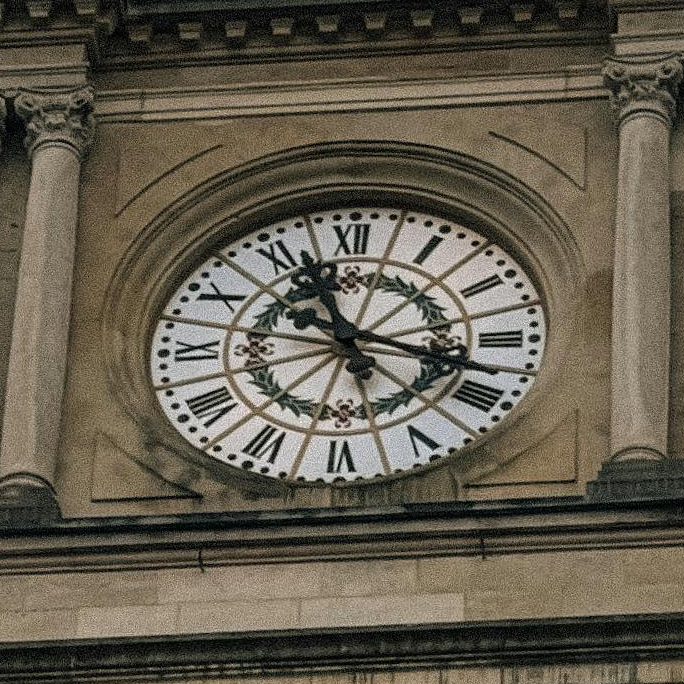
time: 11:17
